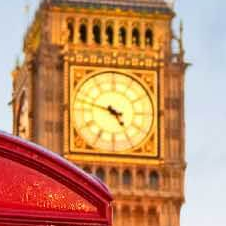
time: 4:47
